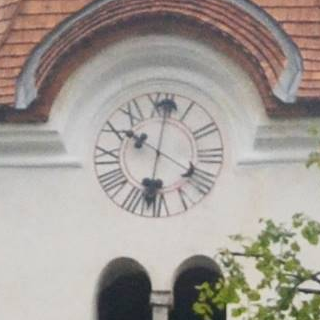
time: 10:01
